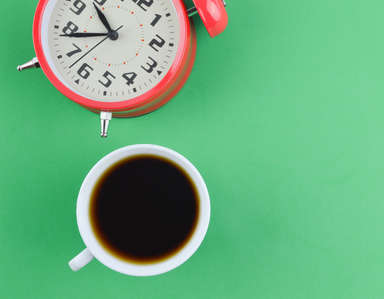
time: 10:43
